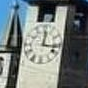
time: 12:16
